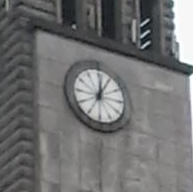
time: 12:04
